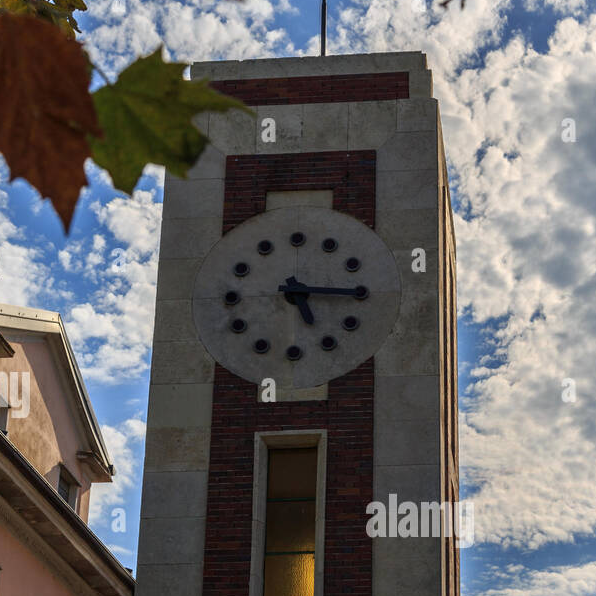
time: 5:15
